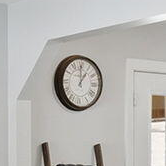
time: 12:59
